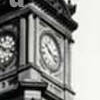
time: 10:17
